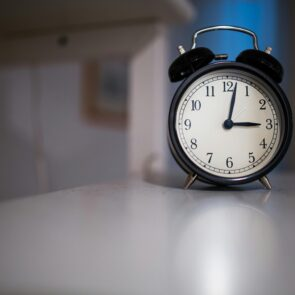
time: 3:02
